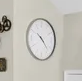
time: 4:22
